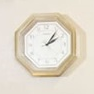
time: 2:06
